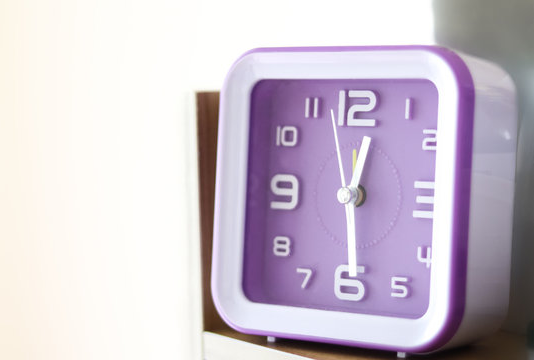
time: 12:29
